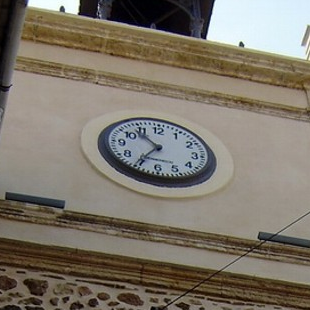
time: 10:35
